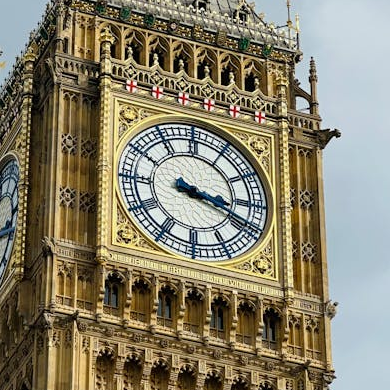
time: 3:18
